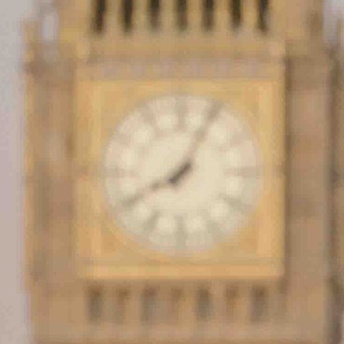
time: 8:04
